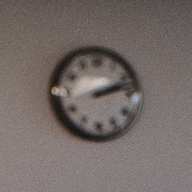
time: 2:12
